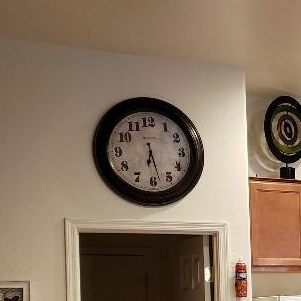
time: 6:27
